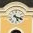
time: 5:18
